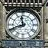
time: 11:41
